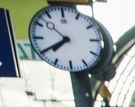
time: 7:39
